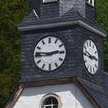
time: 2:46
